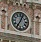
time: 7:04
